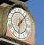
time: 6:07
